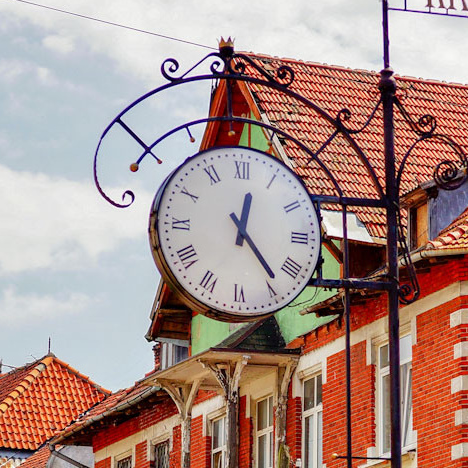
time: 12:23
